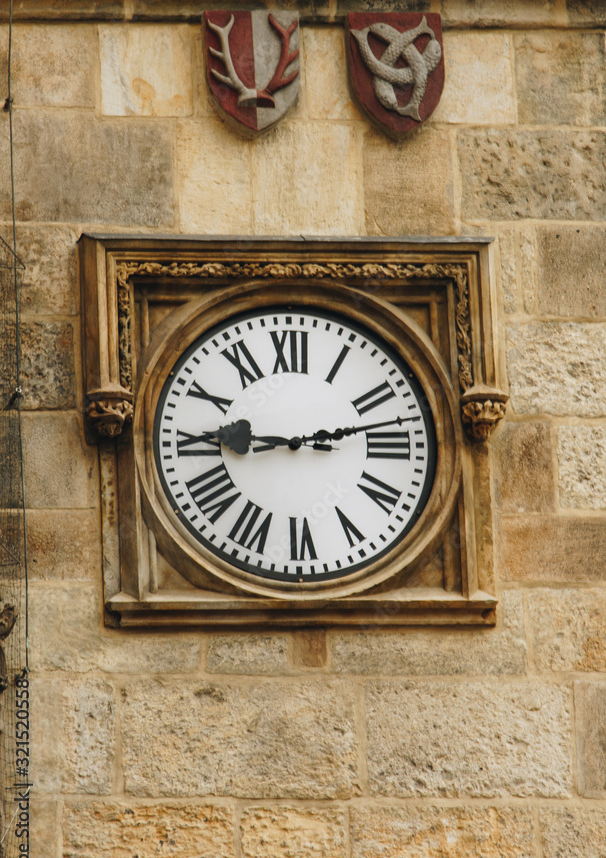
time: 9:12
